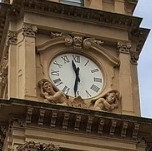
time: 11:31
